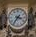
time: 3:36
